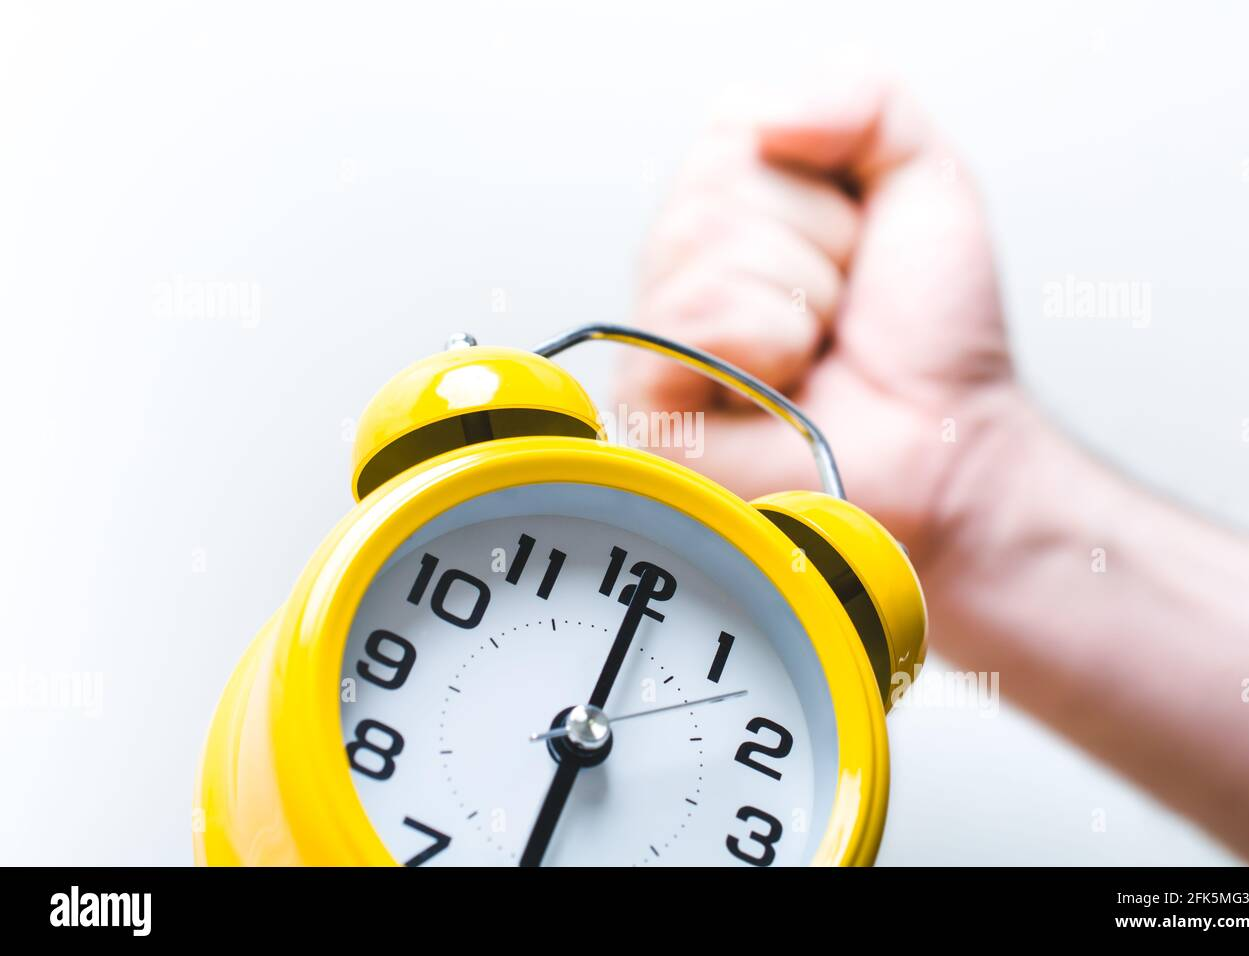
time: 6:00
